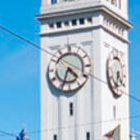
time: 4:33
